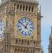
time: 12:51
